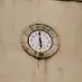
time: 5:59
